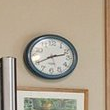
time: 2:40
